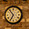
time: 6:53
